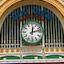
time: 12:12
